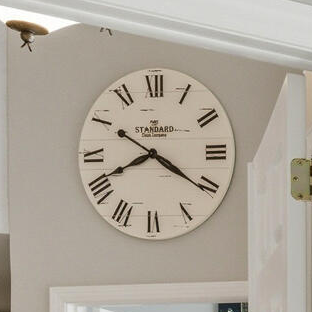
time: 8:20
